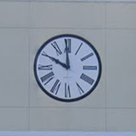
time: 9:59
